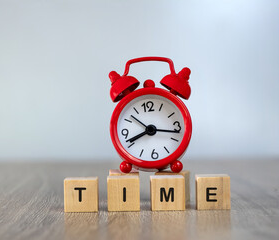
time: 8:16
